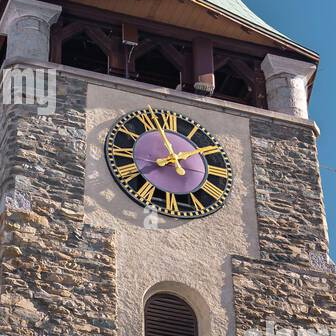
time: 1:56
